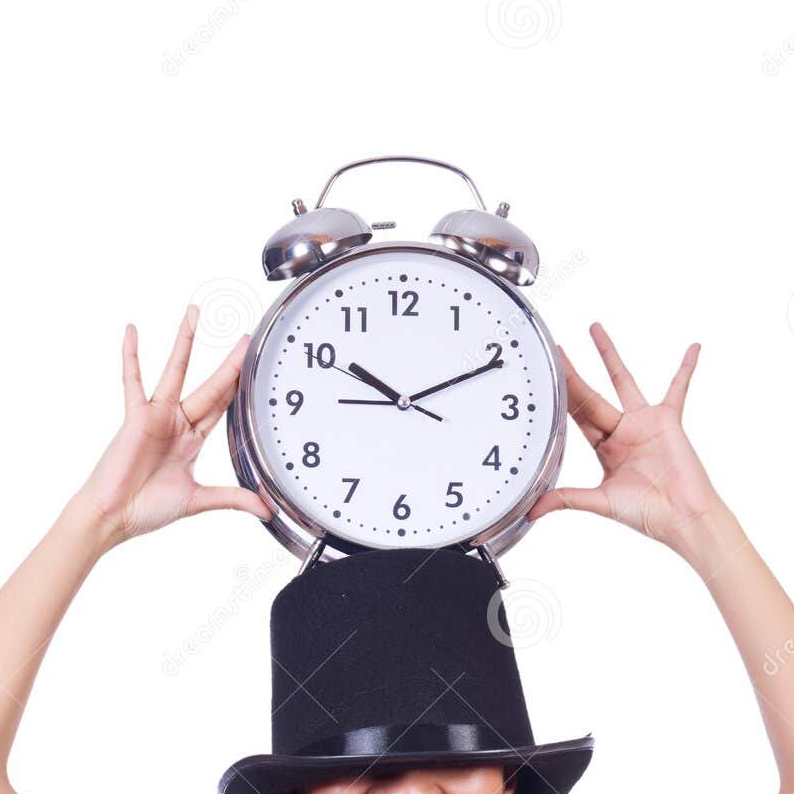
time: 10:11
